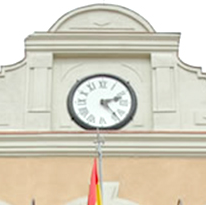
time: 2:23
